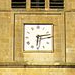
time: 6:13
